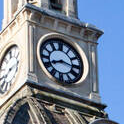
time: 8:16
